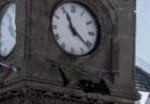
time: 11:21
